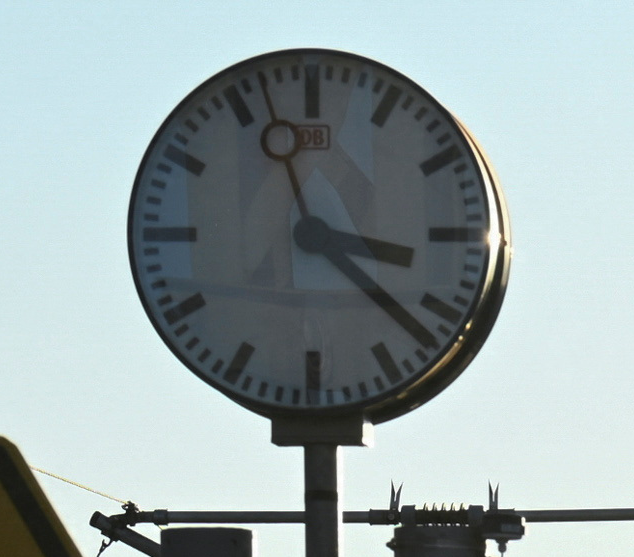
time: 3:22
